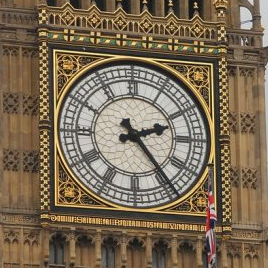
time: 2:23
